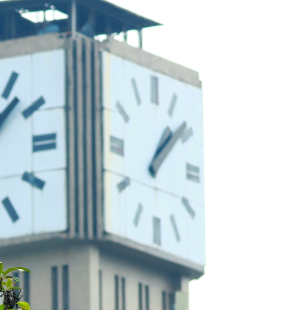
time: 1:08
